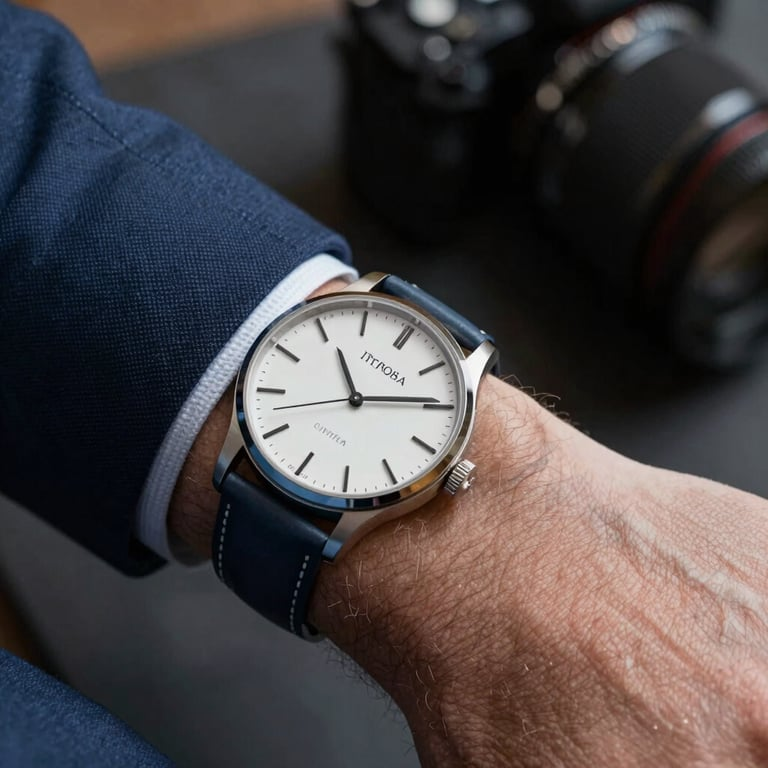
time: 11:14
